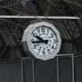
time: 9:43
